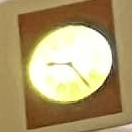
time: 9:23
